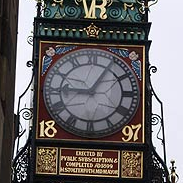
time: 9:05
